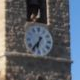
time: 6:36
